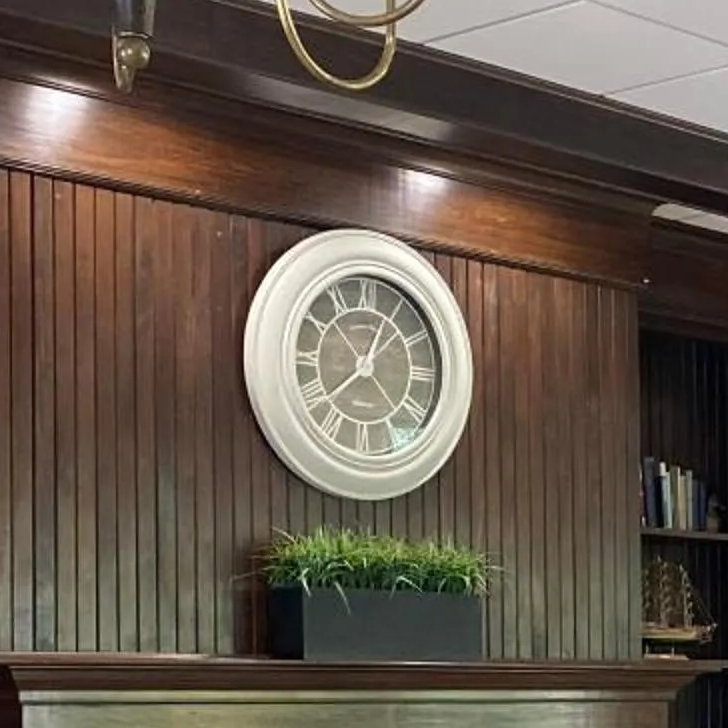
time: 12:37
